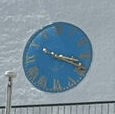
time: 3:18
